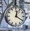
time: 12:20
